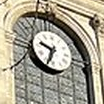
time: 9:33
